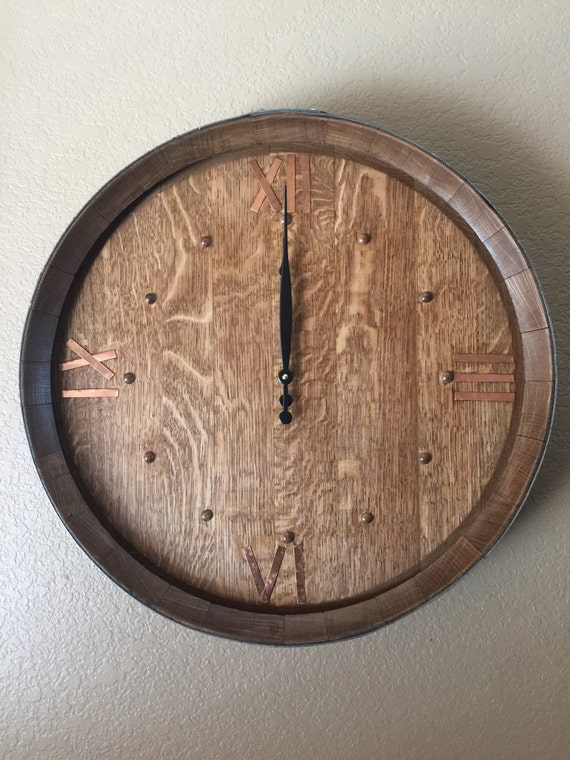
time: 12:00
